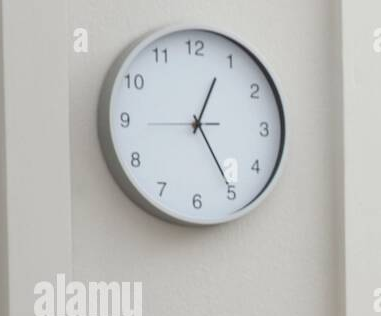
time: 12:24
